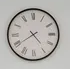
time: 4:39
